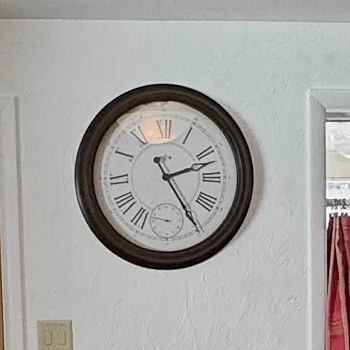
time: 2:24
